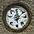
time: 12:07
